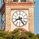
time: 8:24
